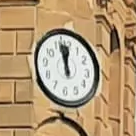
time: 11:57
